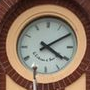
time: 4:09
